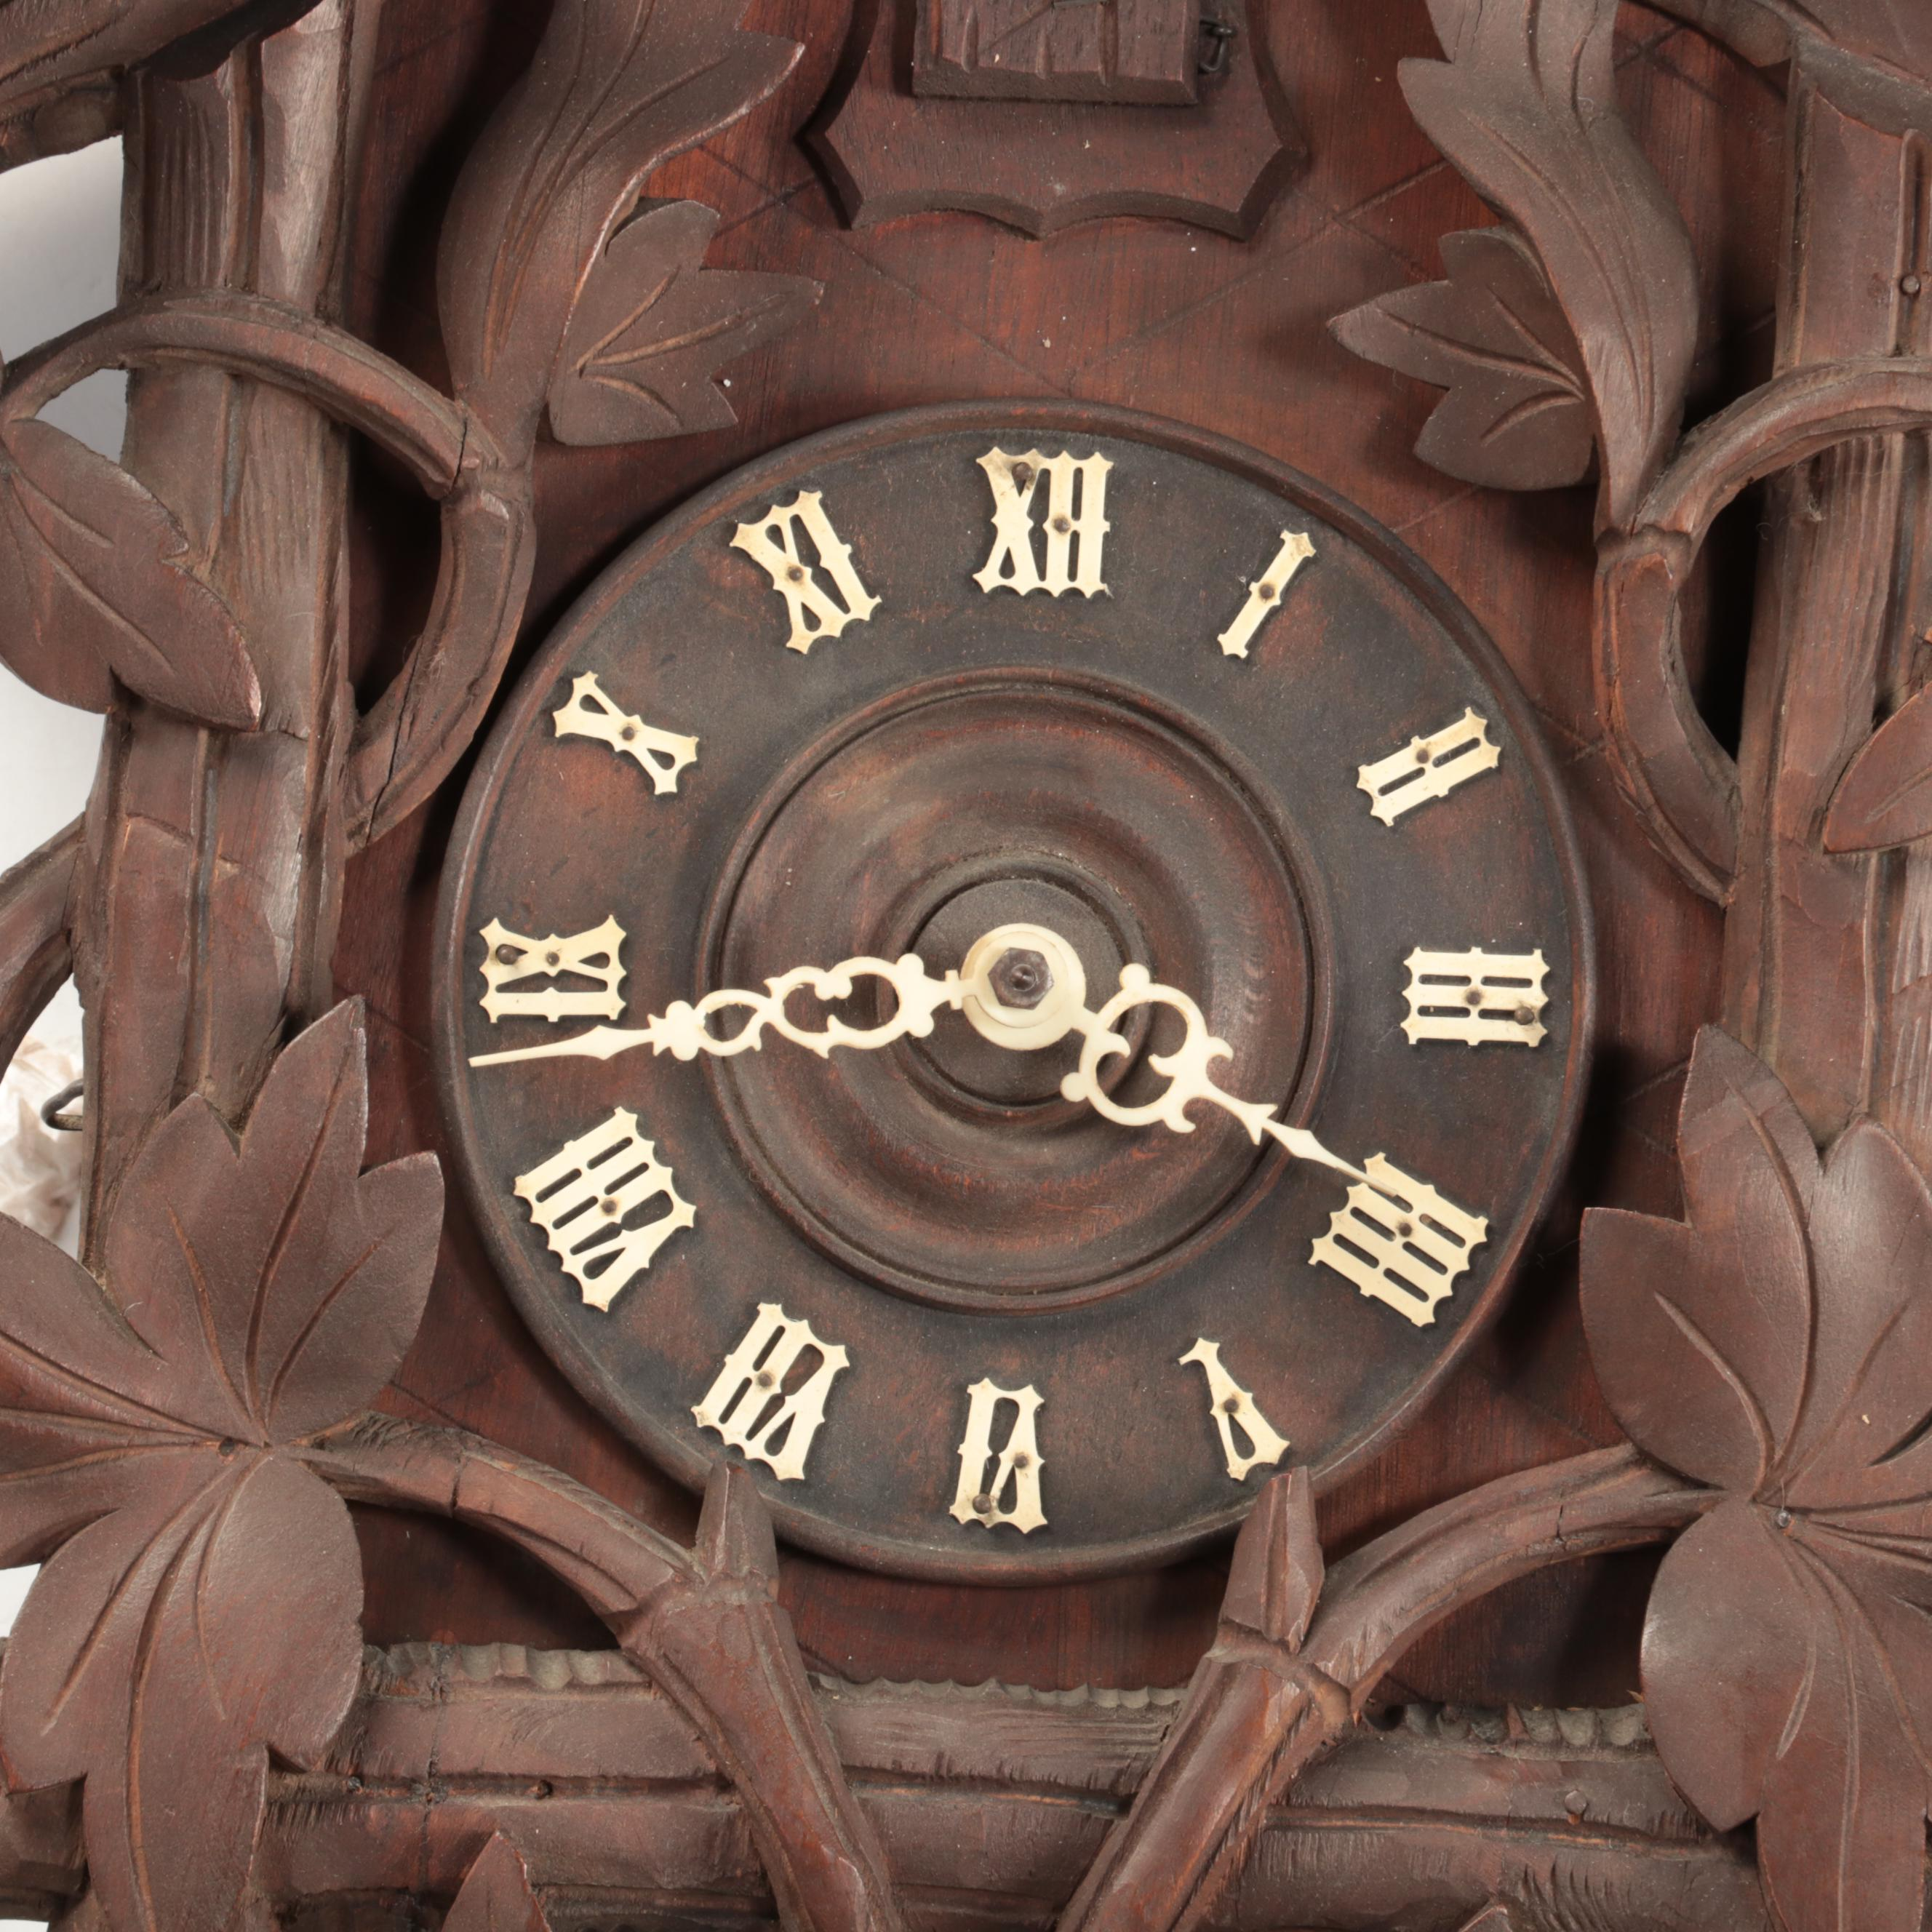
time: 3:43
